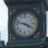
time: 3:47
